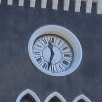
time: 11:32
